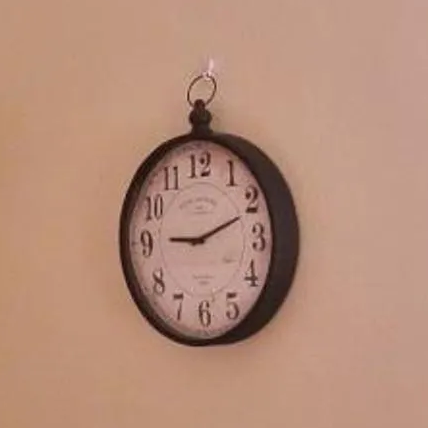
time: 9:11
